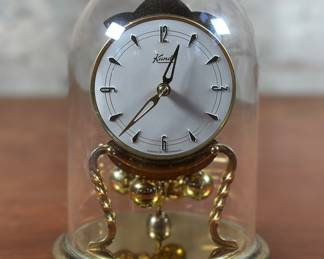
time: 12:37
